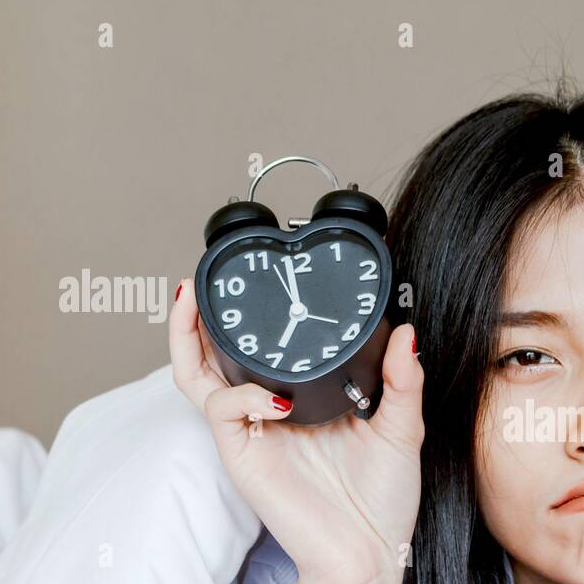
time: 6:58
